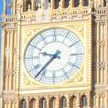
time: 9:37
